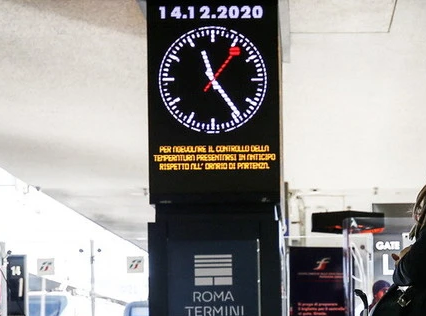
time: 11:24
